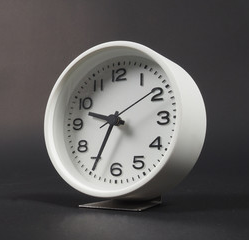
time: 9:34
